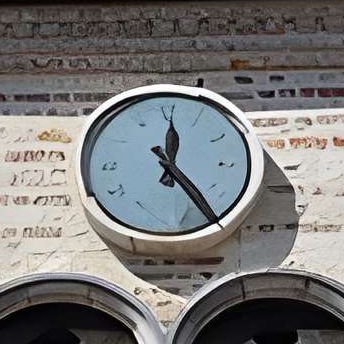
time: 12:24
